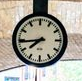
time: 7:44
